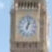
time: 1:02
